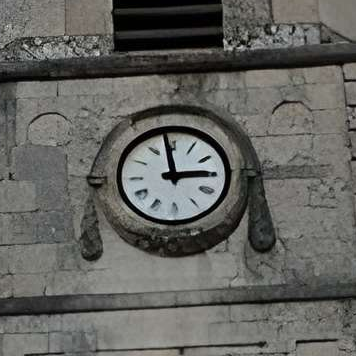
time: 2:58
